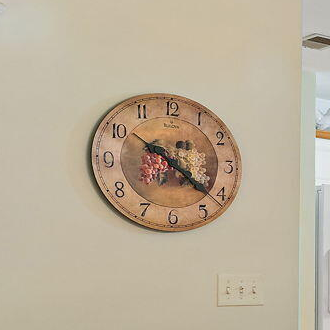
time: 10:21
